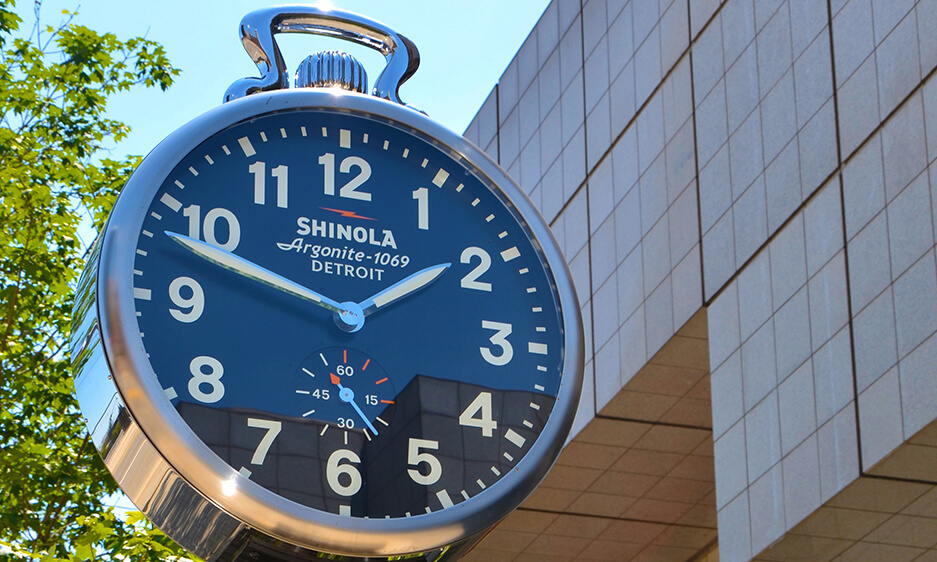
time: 1:48
